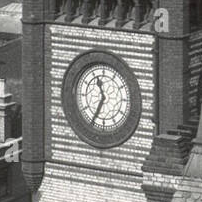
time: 11:34
